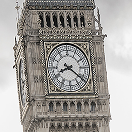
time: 8:21
